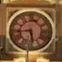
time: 5:43
